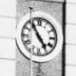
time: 4:54
